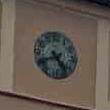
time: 4:40
